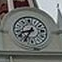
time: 8:34
